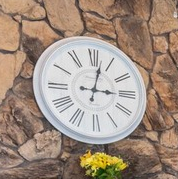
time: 3:02
